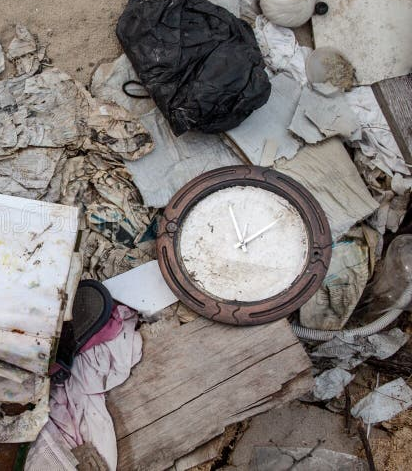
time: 1:56
